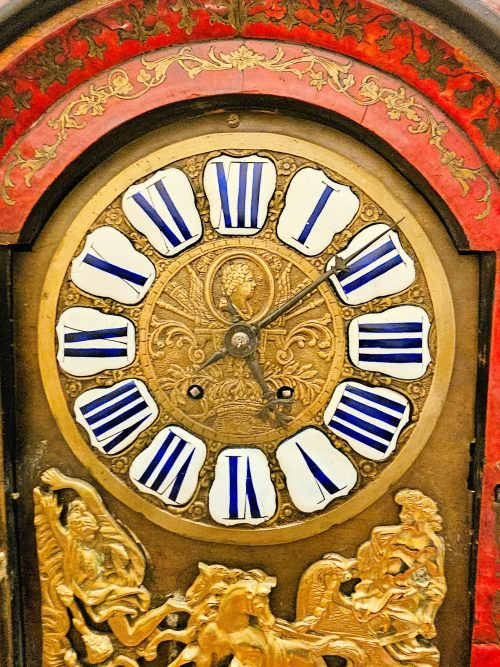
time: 5:08
